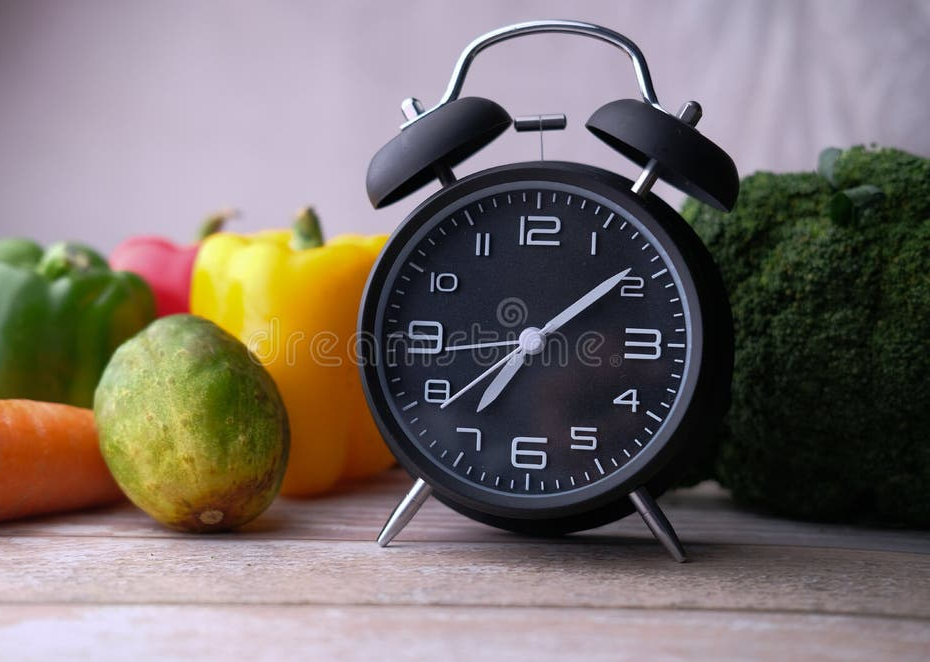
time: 7:08
